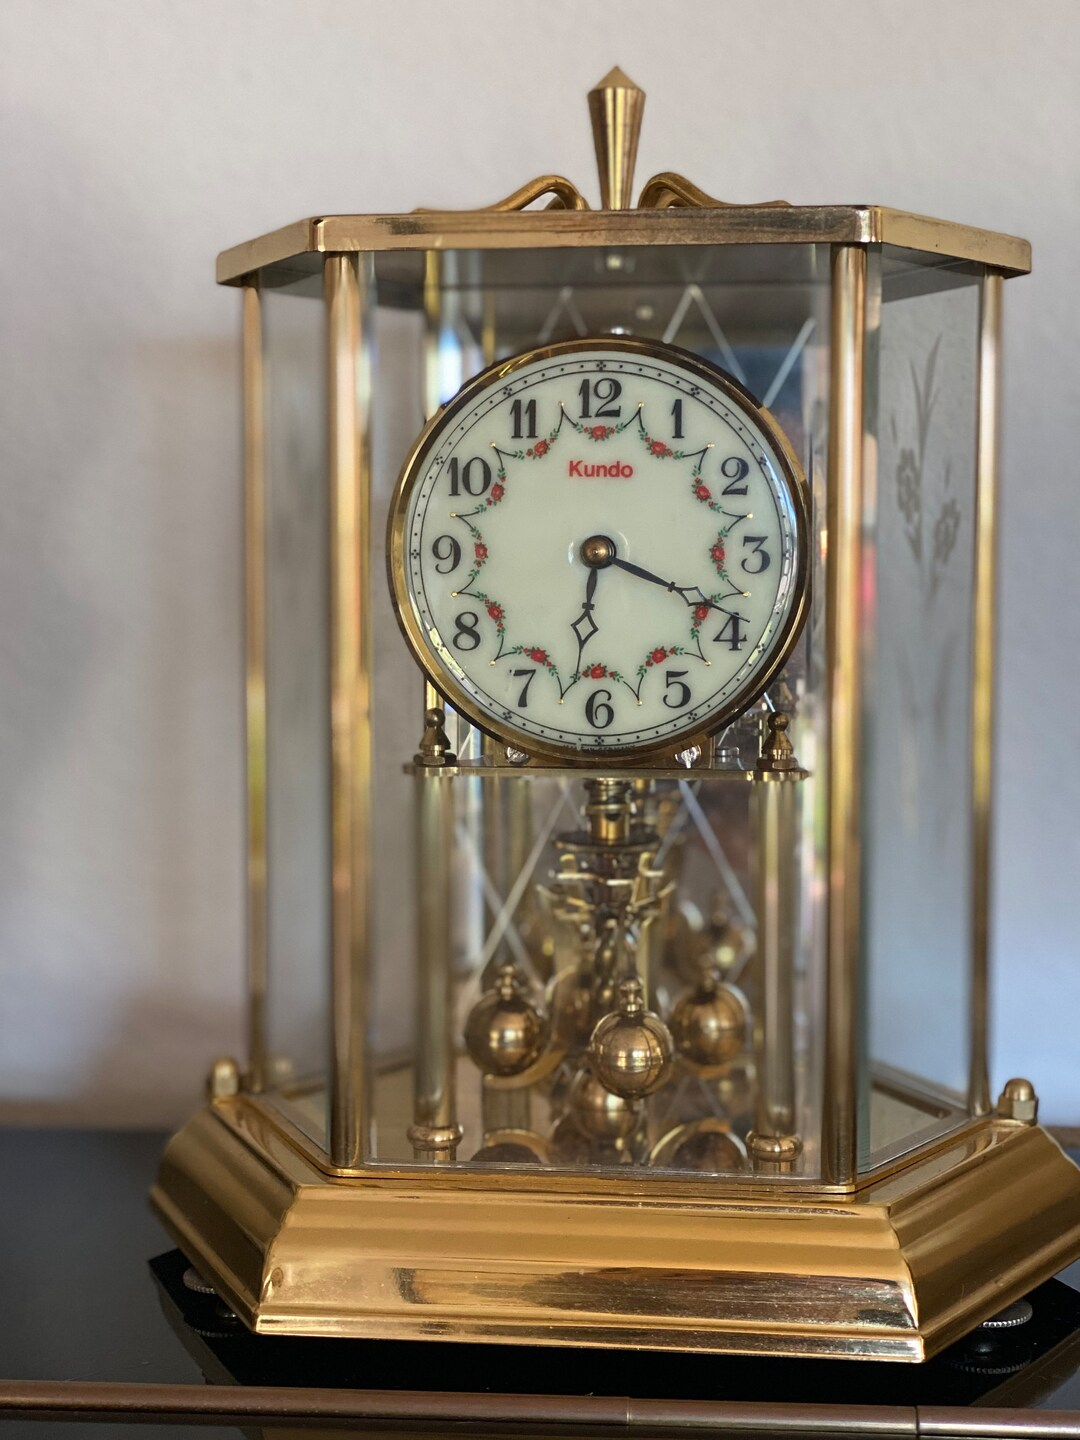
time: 6:18
